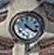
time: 4:21
